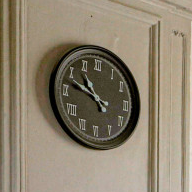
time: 10:47
